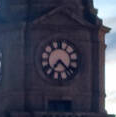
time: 7:22
